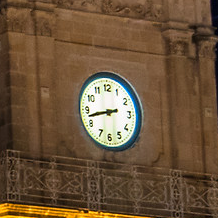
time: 8:42
